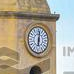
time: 6:00
